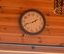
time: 1:41
